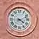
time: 4:11
